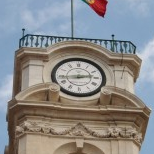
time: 2:43
